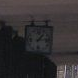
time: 1:13
